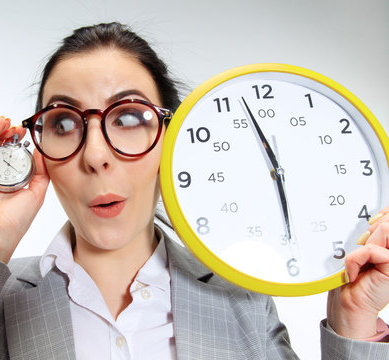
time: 5:57
